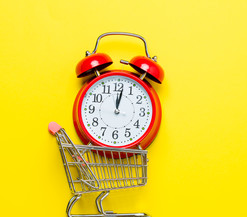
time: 12:01
